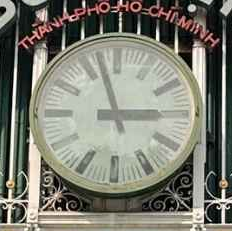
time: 2:57
